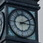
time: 3:09
